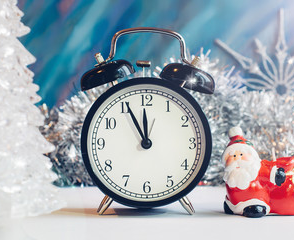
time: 11:55
